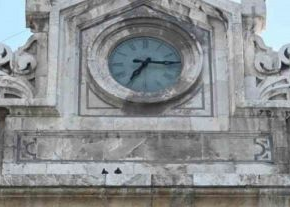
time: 7:15
